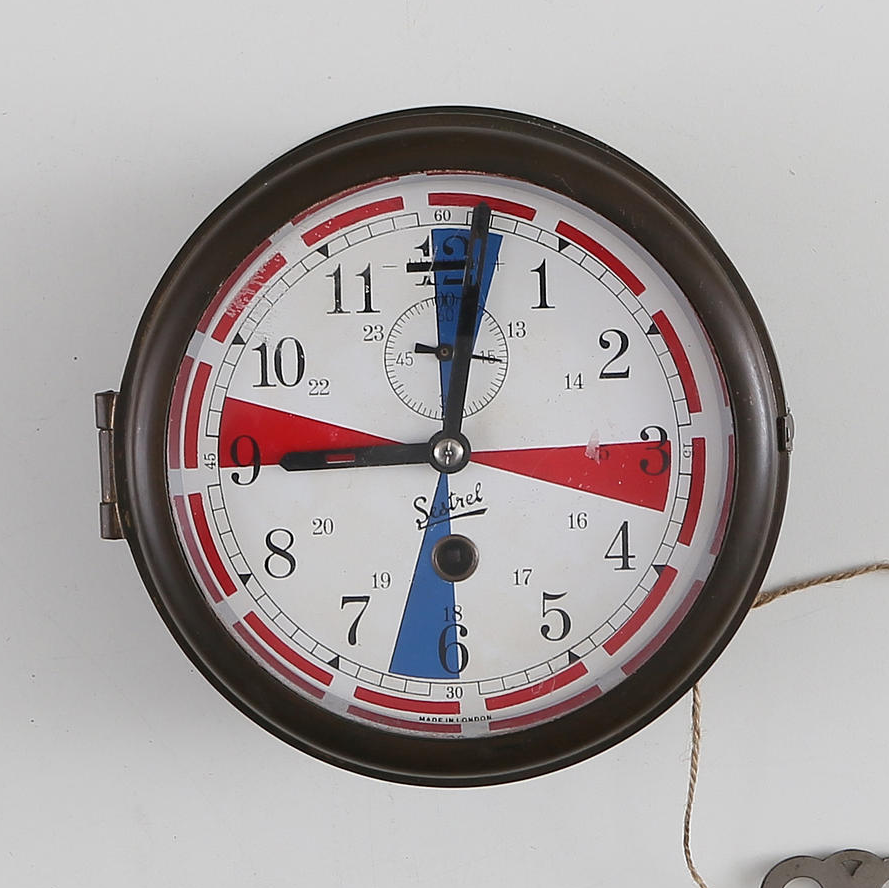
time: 9:01
